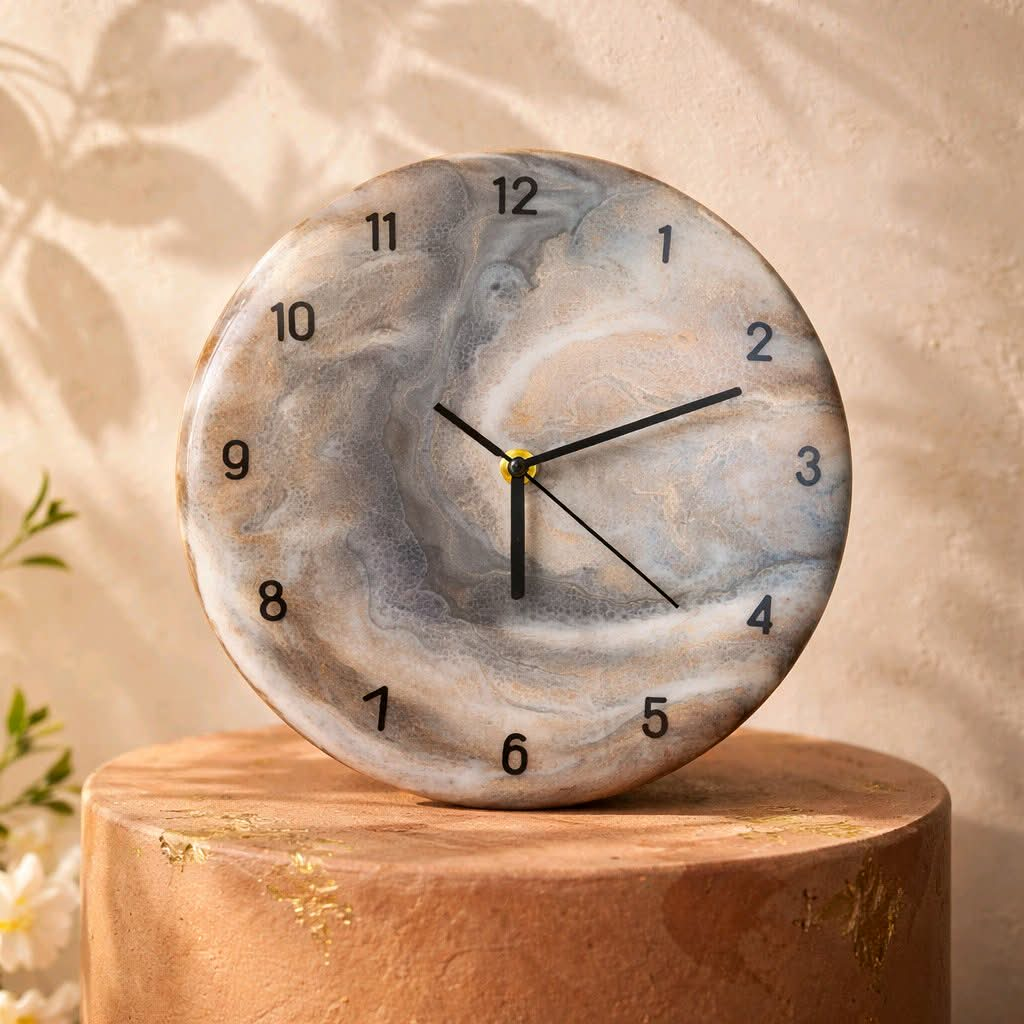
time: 6:11
